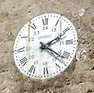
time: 4:10
